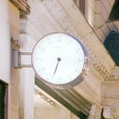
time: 6:33
